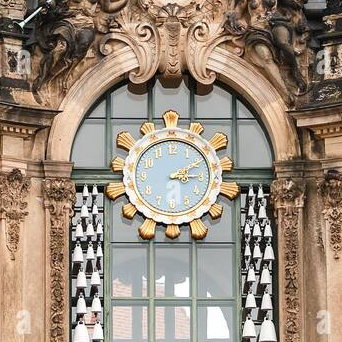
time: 3:10
